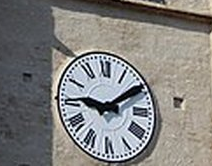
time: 9:09
